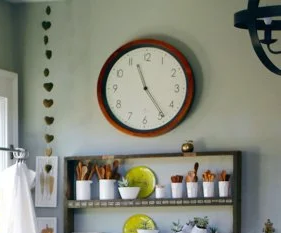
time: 11:24
